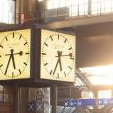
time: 5:33
